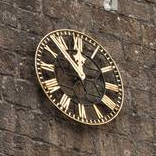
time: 11:52
